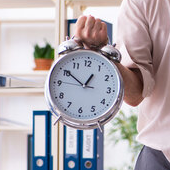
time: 12:50
